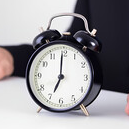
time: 7:00
